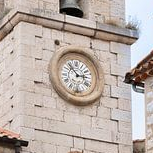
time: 2:53
